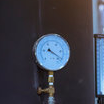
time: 10:21
